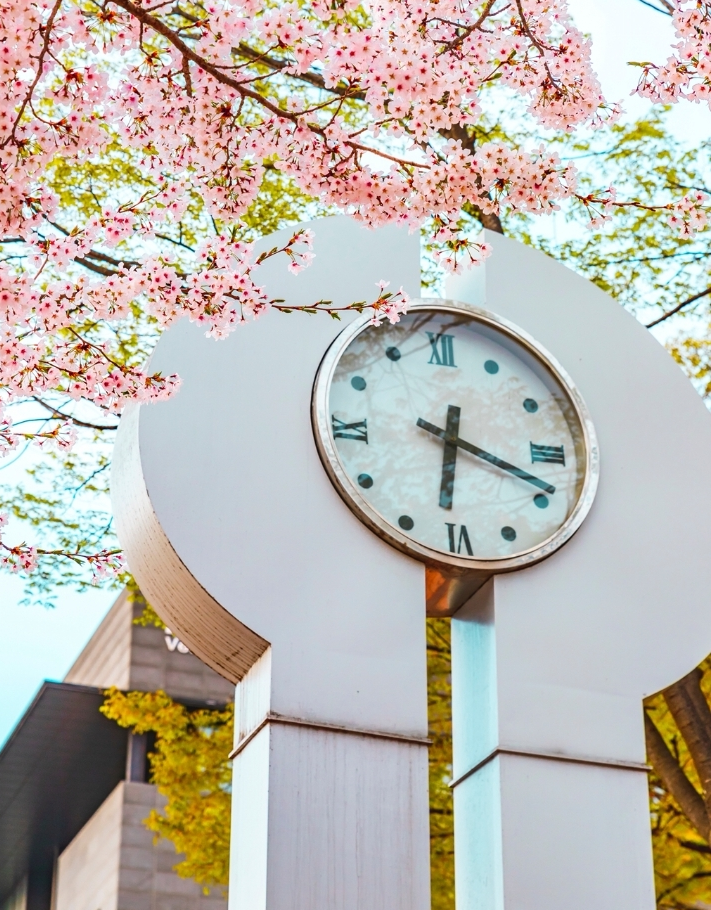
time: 6:18
